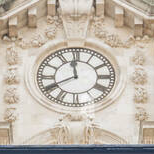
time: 11:40
